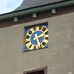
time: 2:26
